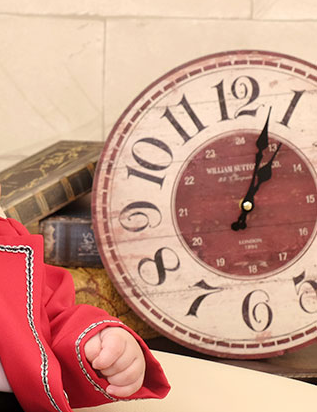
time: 1:03
